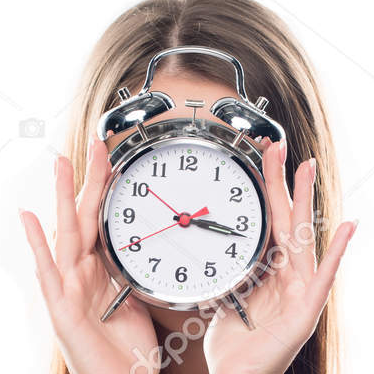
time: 3:17
